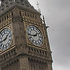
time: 1:43
